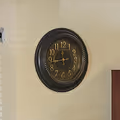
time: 11:43
